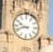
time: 9:42
